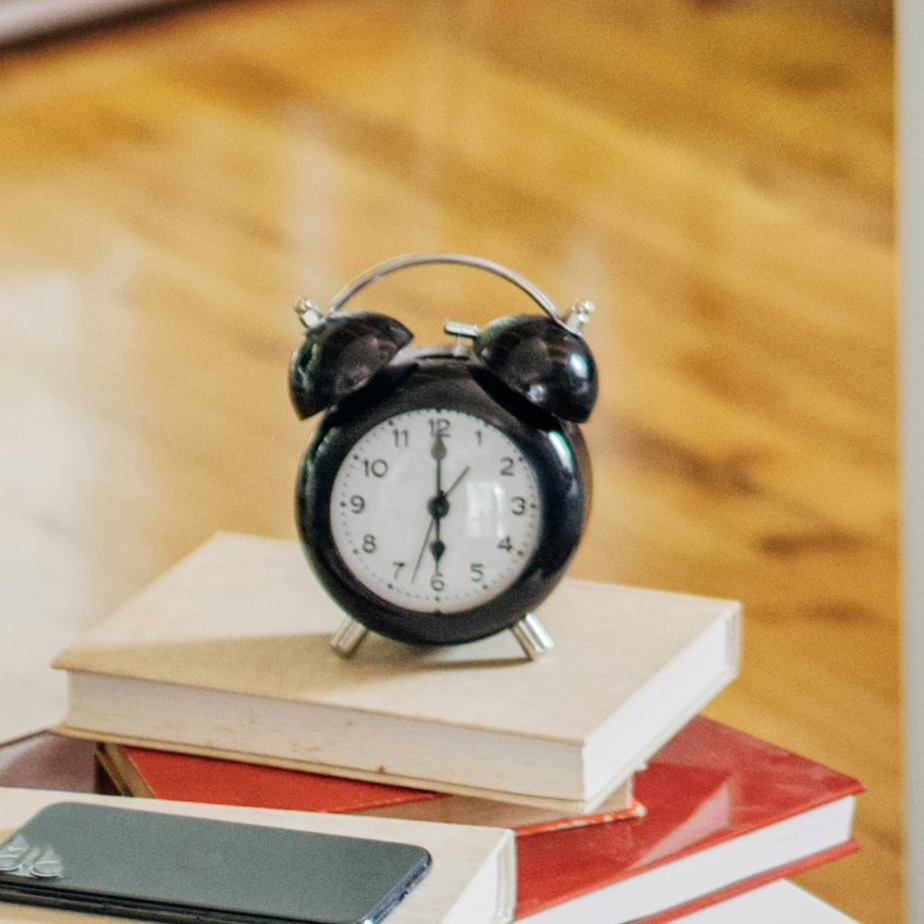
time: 6:00
